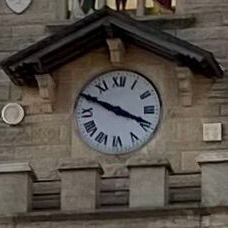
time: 3:49
